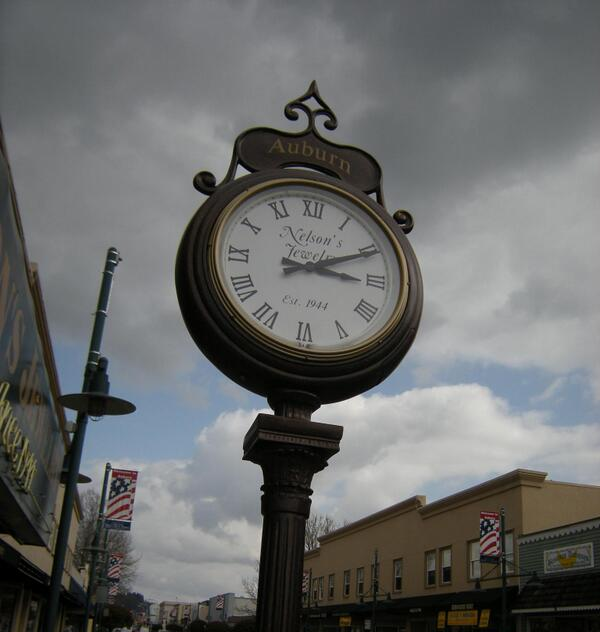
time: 3:10
